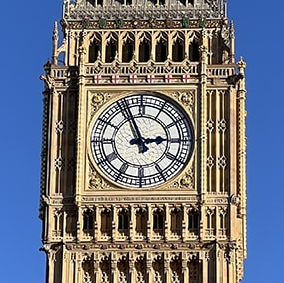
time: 2:56
